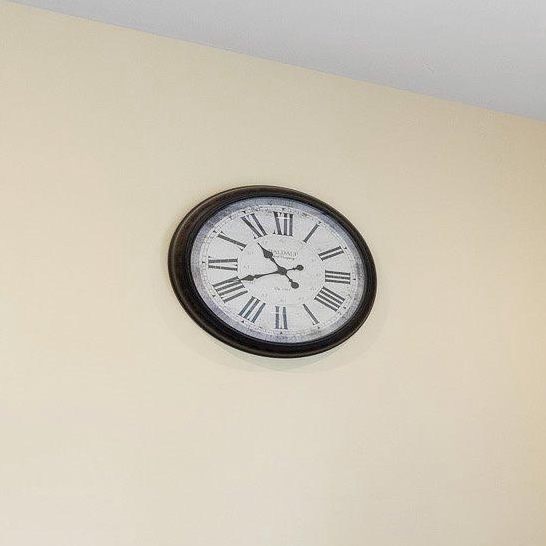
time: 10:41
